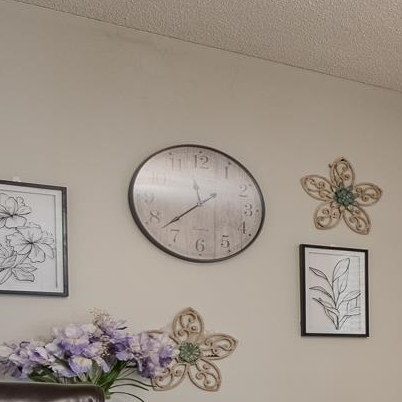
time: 11:37
